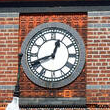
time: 12:41
